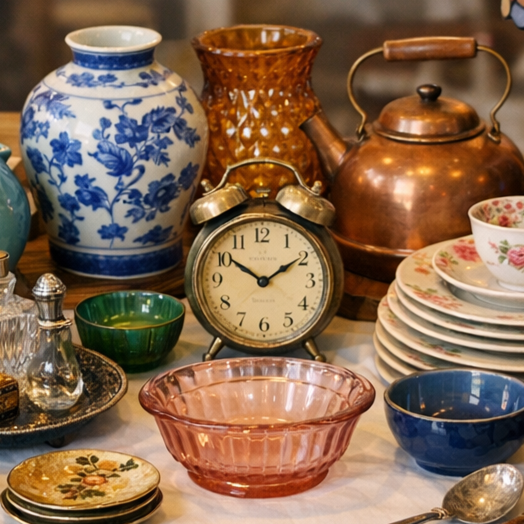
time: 1:51
